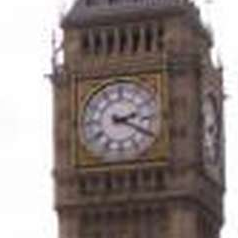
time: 2:19
